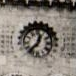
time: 12:37
